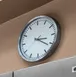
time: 3:21
